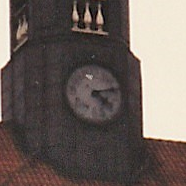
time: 4:12
